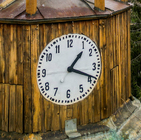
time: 1:18
